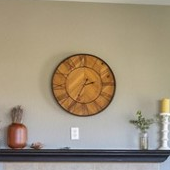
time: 2:34
